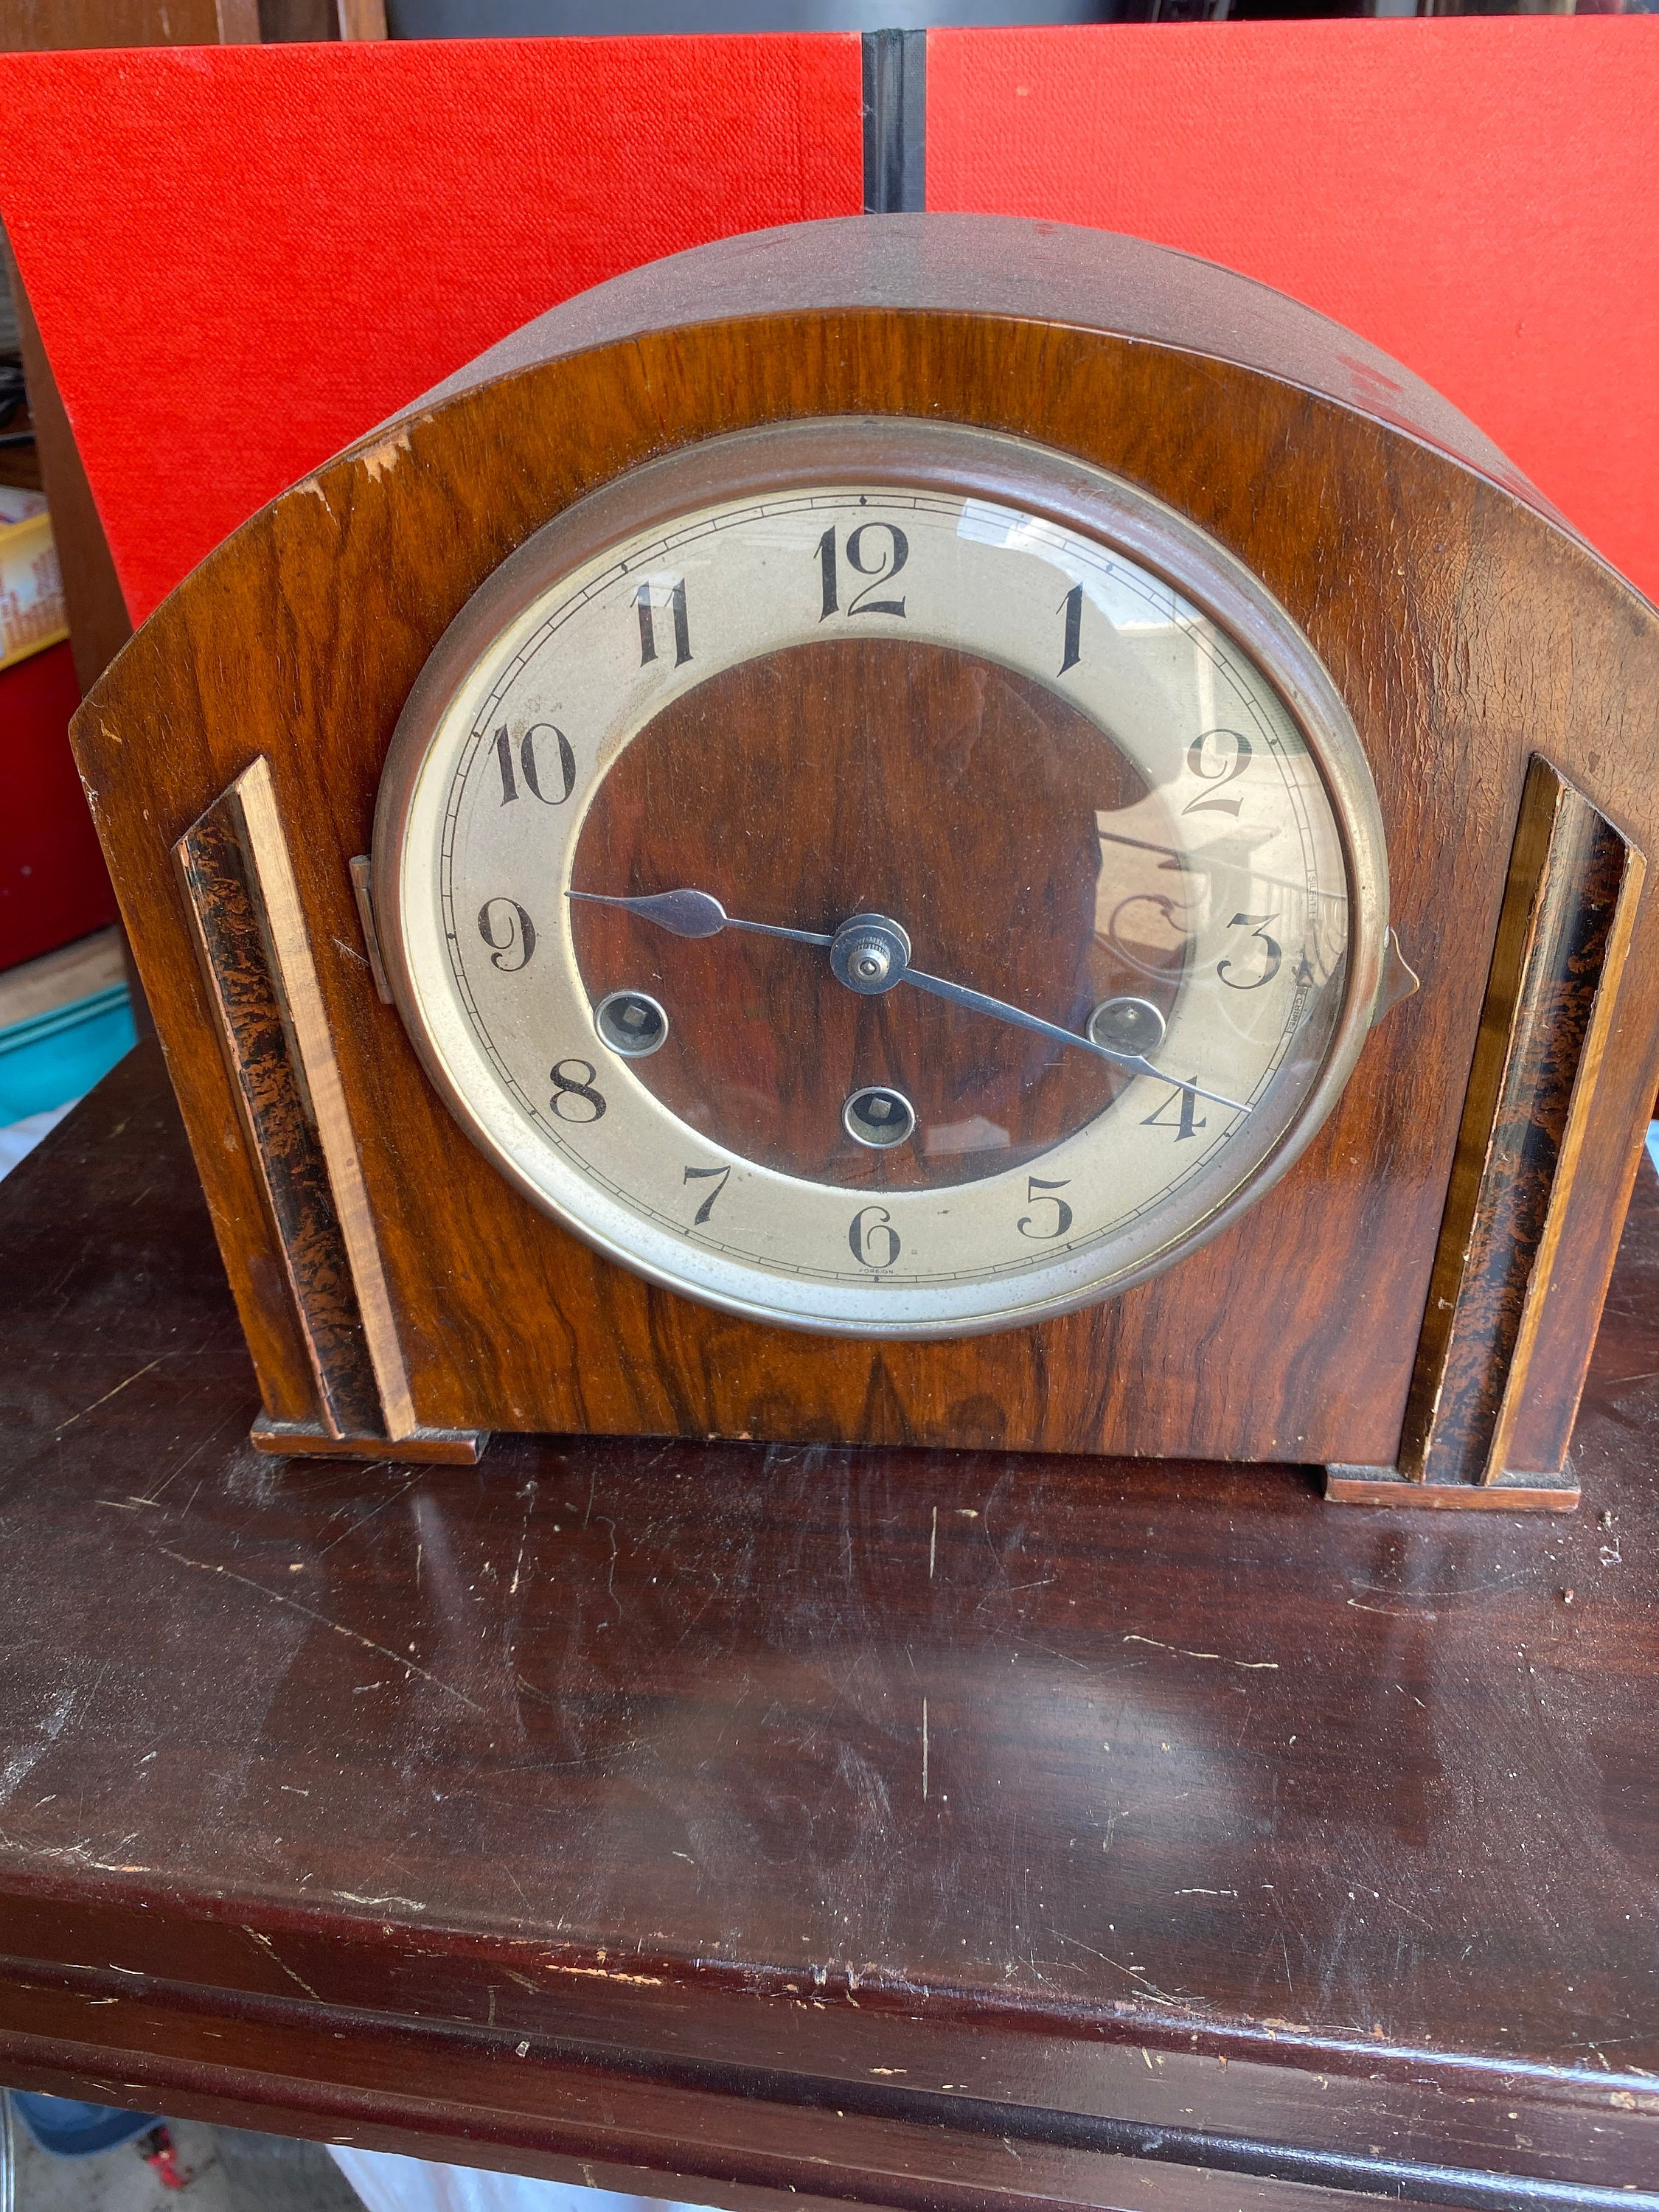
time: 9:19
